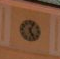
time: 5:03
